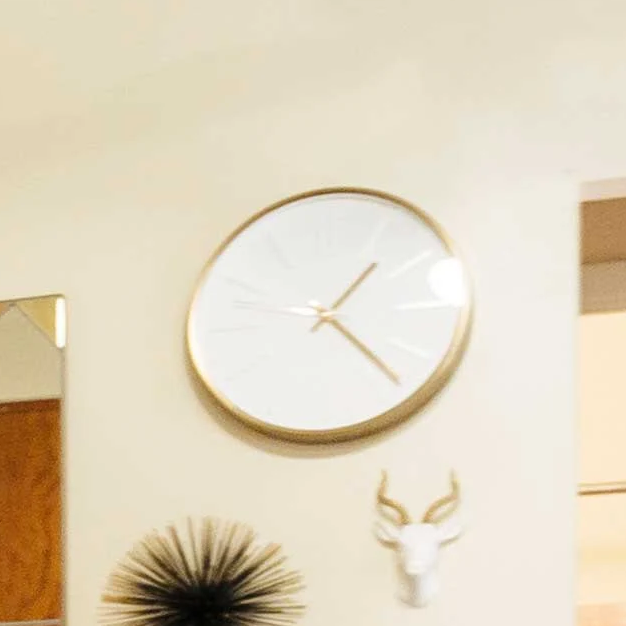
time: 1:22
